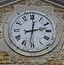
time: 12:12
